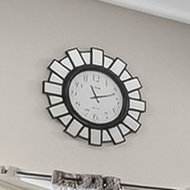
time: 11:12
